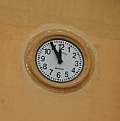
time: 11:54
